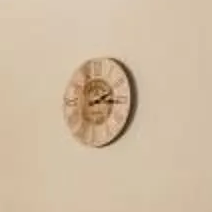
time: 2:15
